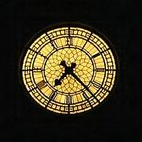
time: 7:22
